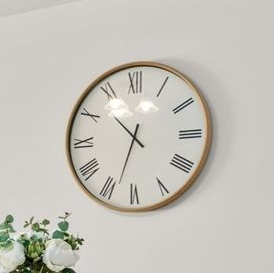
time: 10:33
